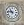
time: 10:46
